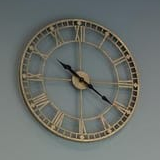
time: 10:20
